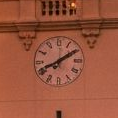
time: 8:09
